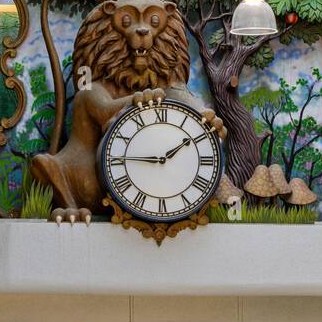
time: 1:45
